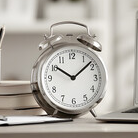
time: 10:08
